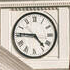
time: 4:45
